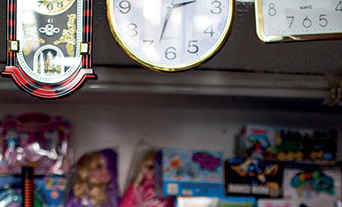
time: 2:32
